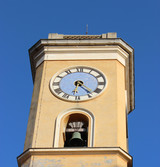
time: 6:23
